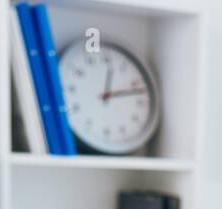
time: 12:12
